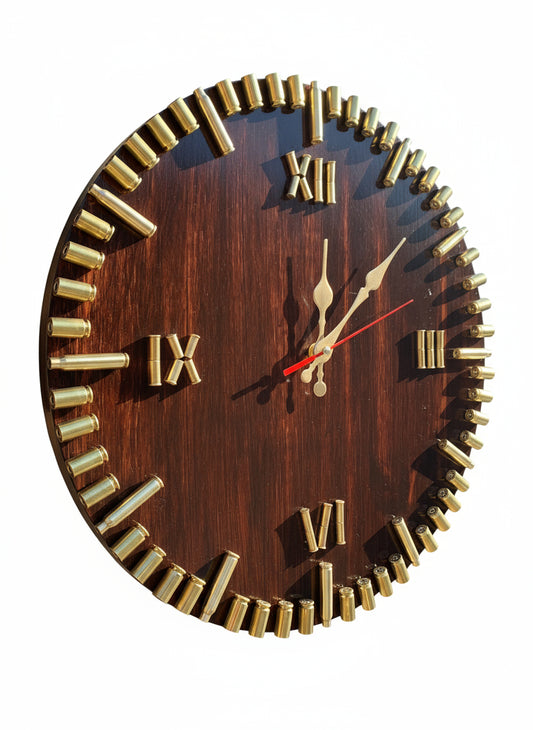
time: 12:07
